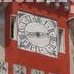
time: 8:12
